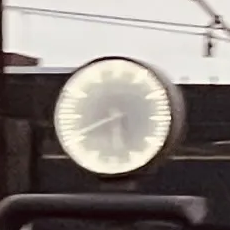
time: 5:41
